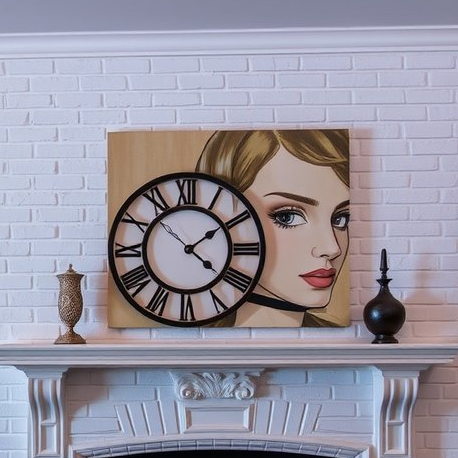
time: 4:09
